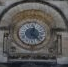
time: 12:22
